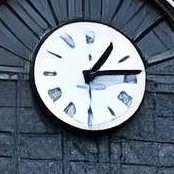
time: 1:13
